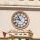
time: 10:46
